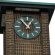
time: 12:52
